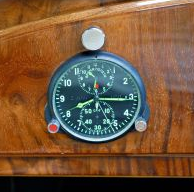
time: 8:15
